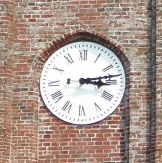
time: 3:13
